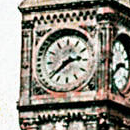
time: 2:38
